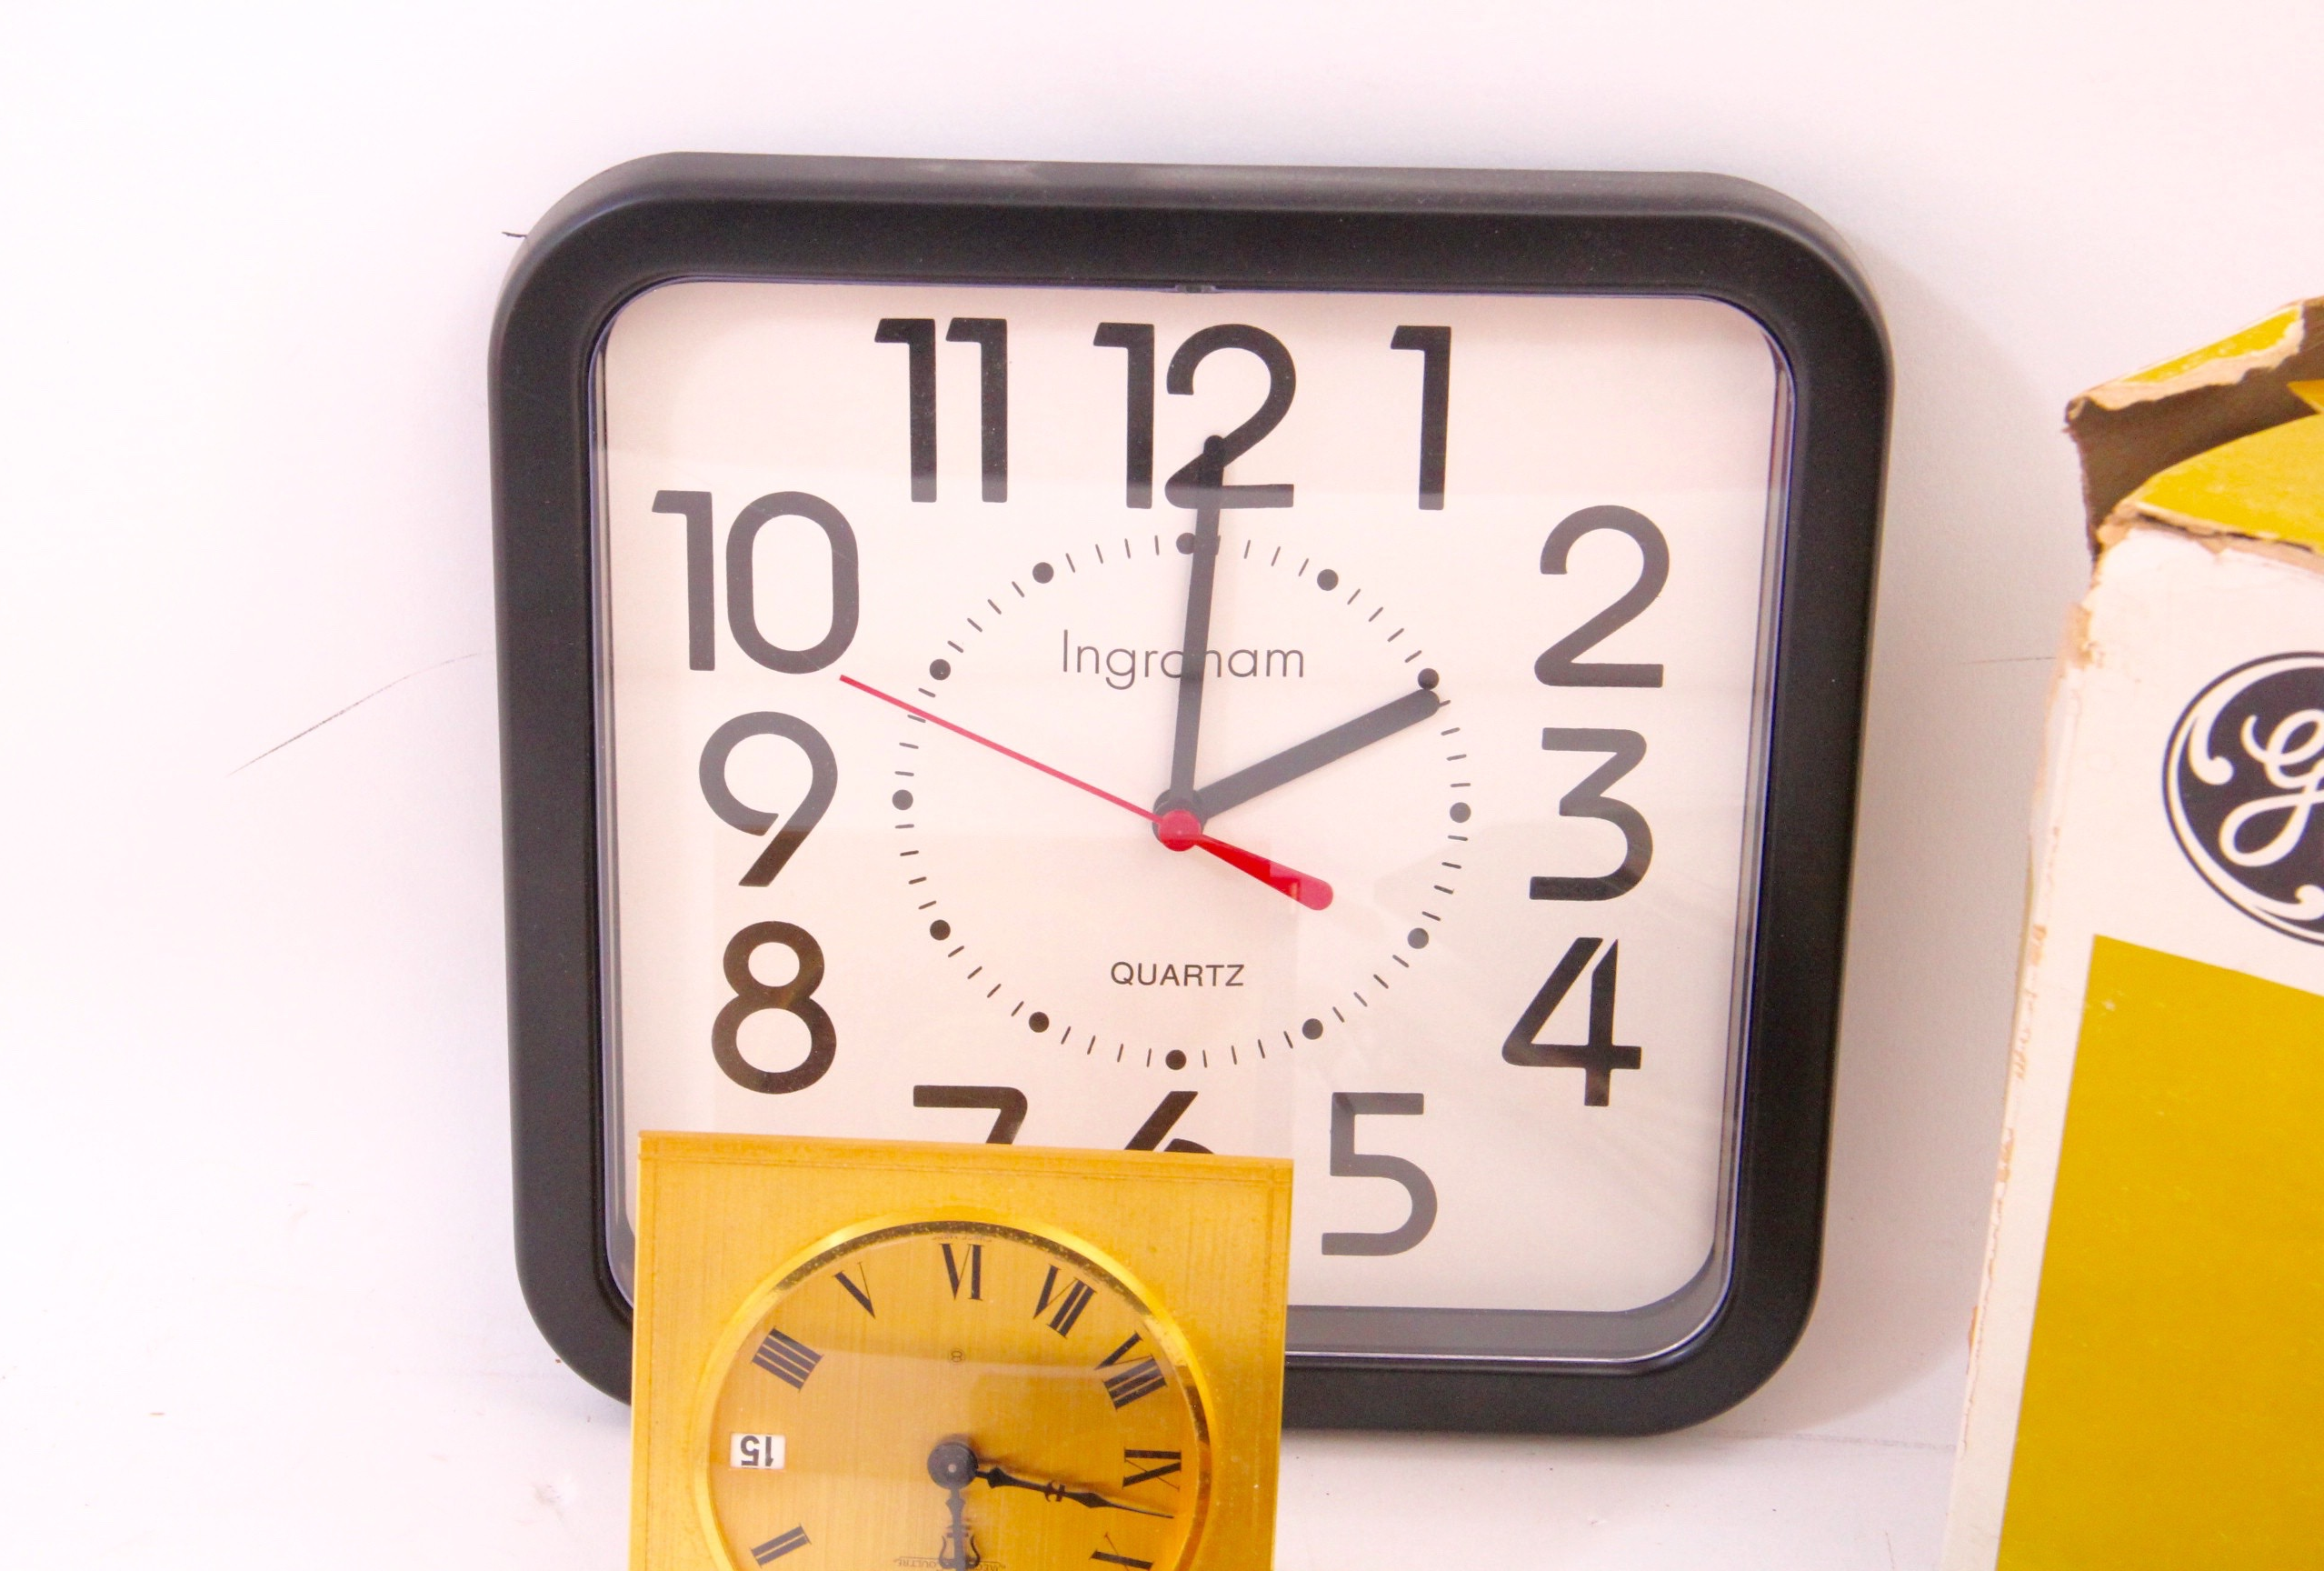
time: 2:00
